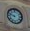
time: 9:48
